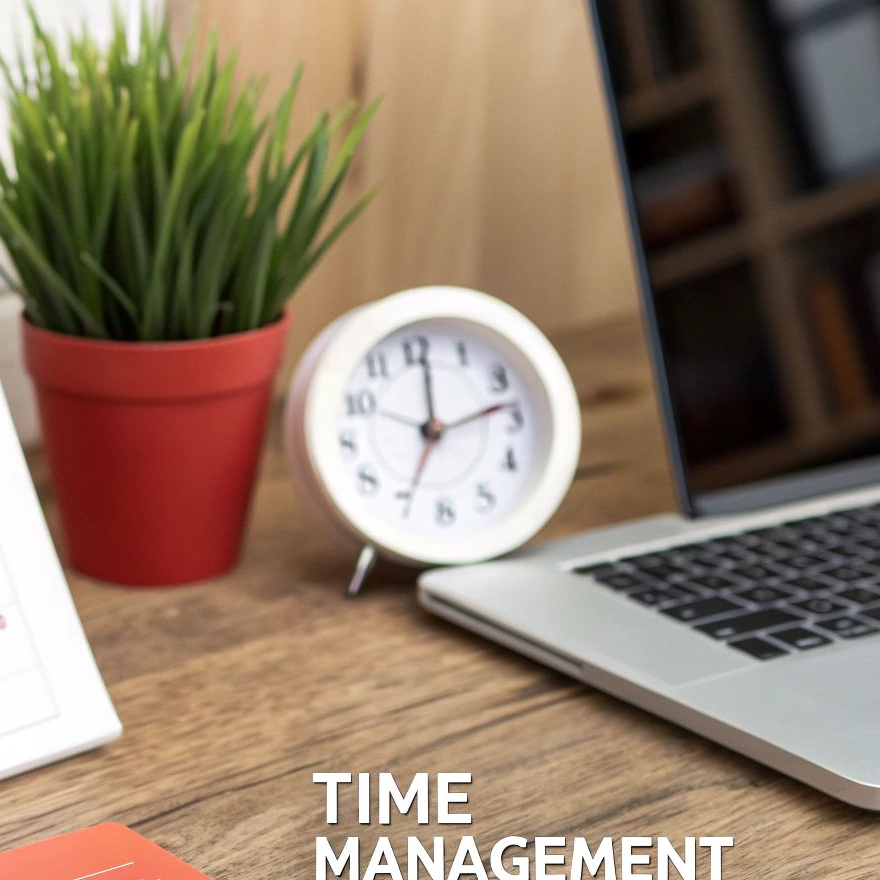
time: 12:12
